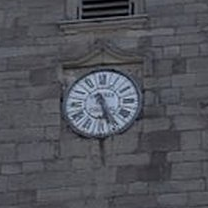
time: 5:26
